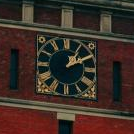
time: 1:09
